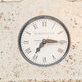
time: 7:15
